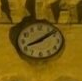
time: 8:09
